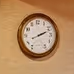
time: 2:11
